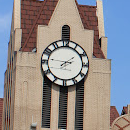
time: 1:46
